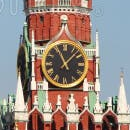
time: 11:07
